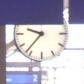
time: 9:36
